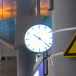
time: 10:21
